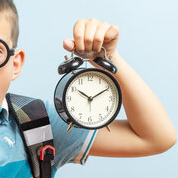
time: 10:10
